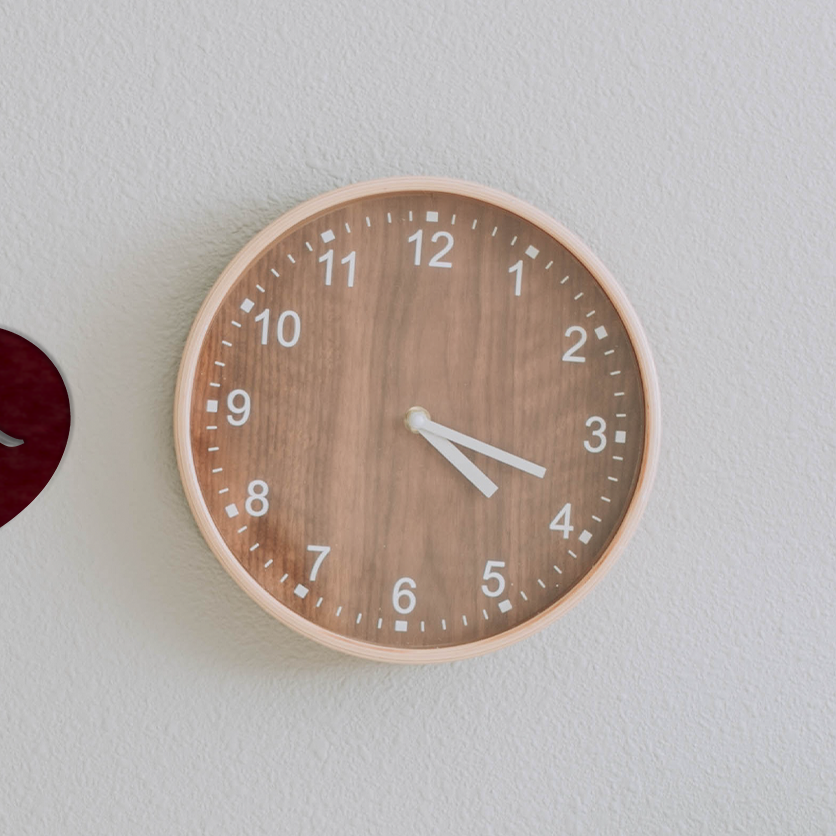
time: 4:18
